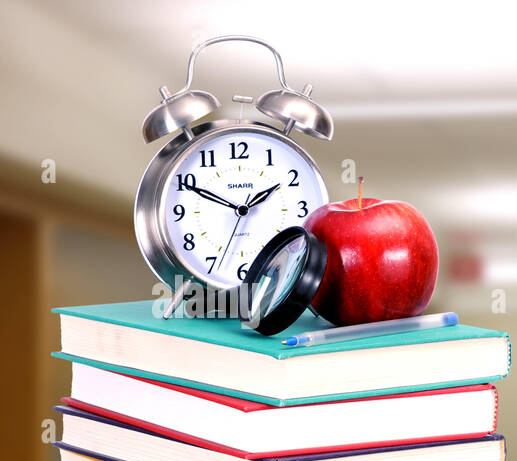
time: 1:49
